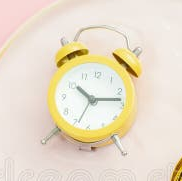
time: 10:13
